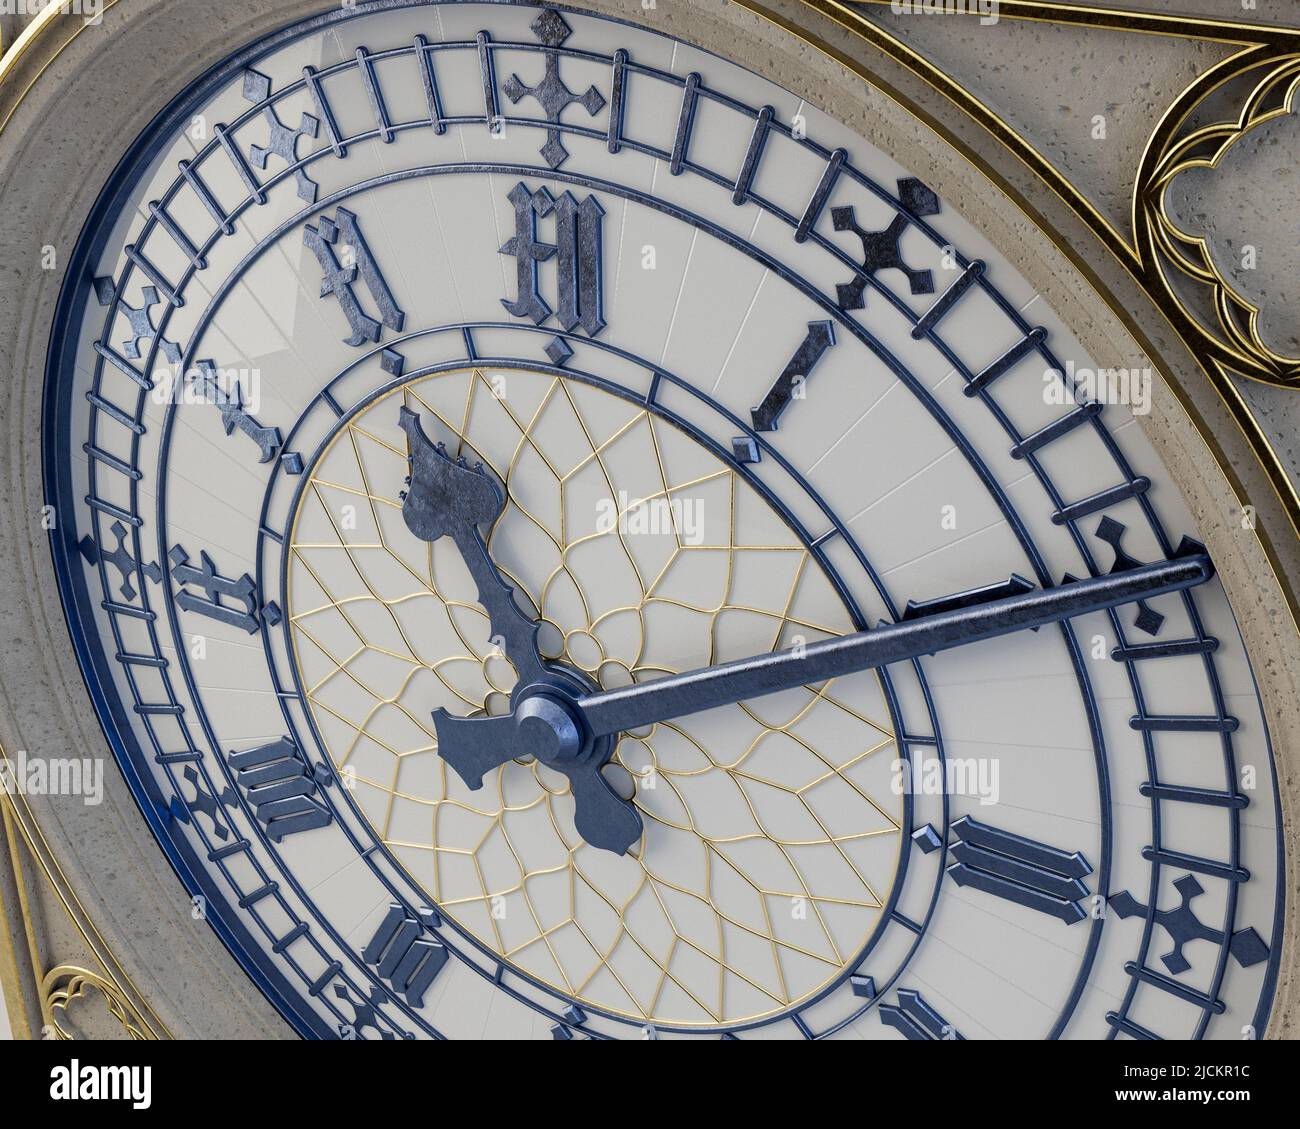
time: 11:07
